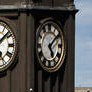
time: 5:08
